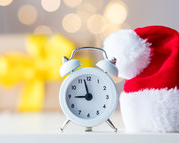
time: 8:57
